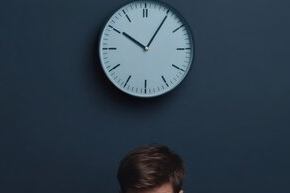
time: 10:05
